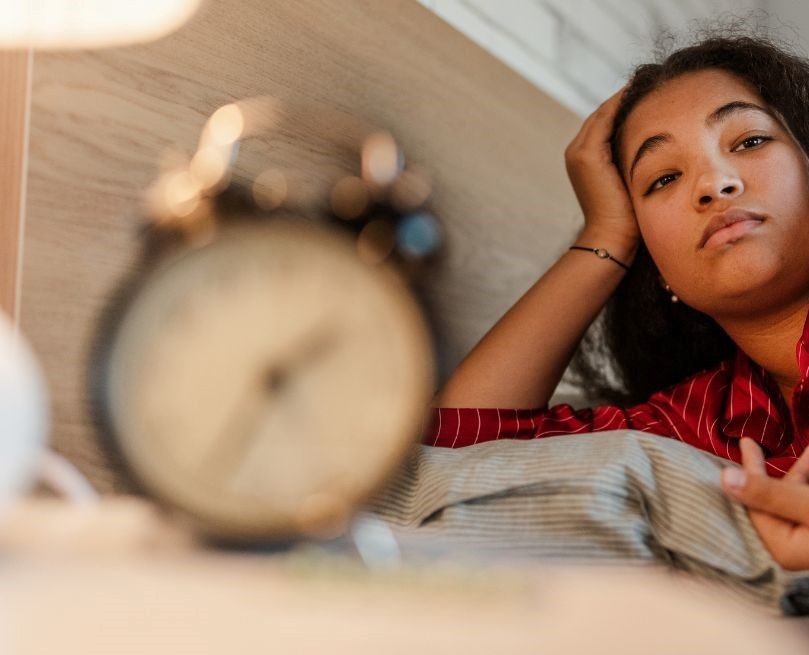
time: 1:34
